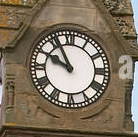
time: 9:55
